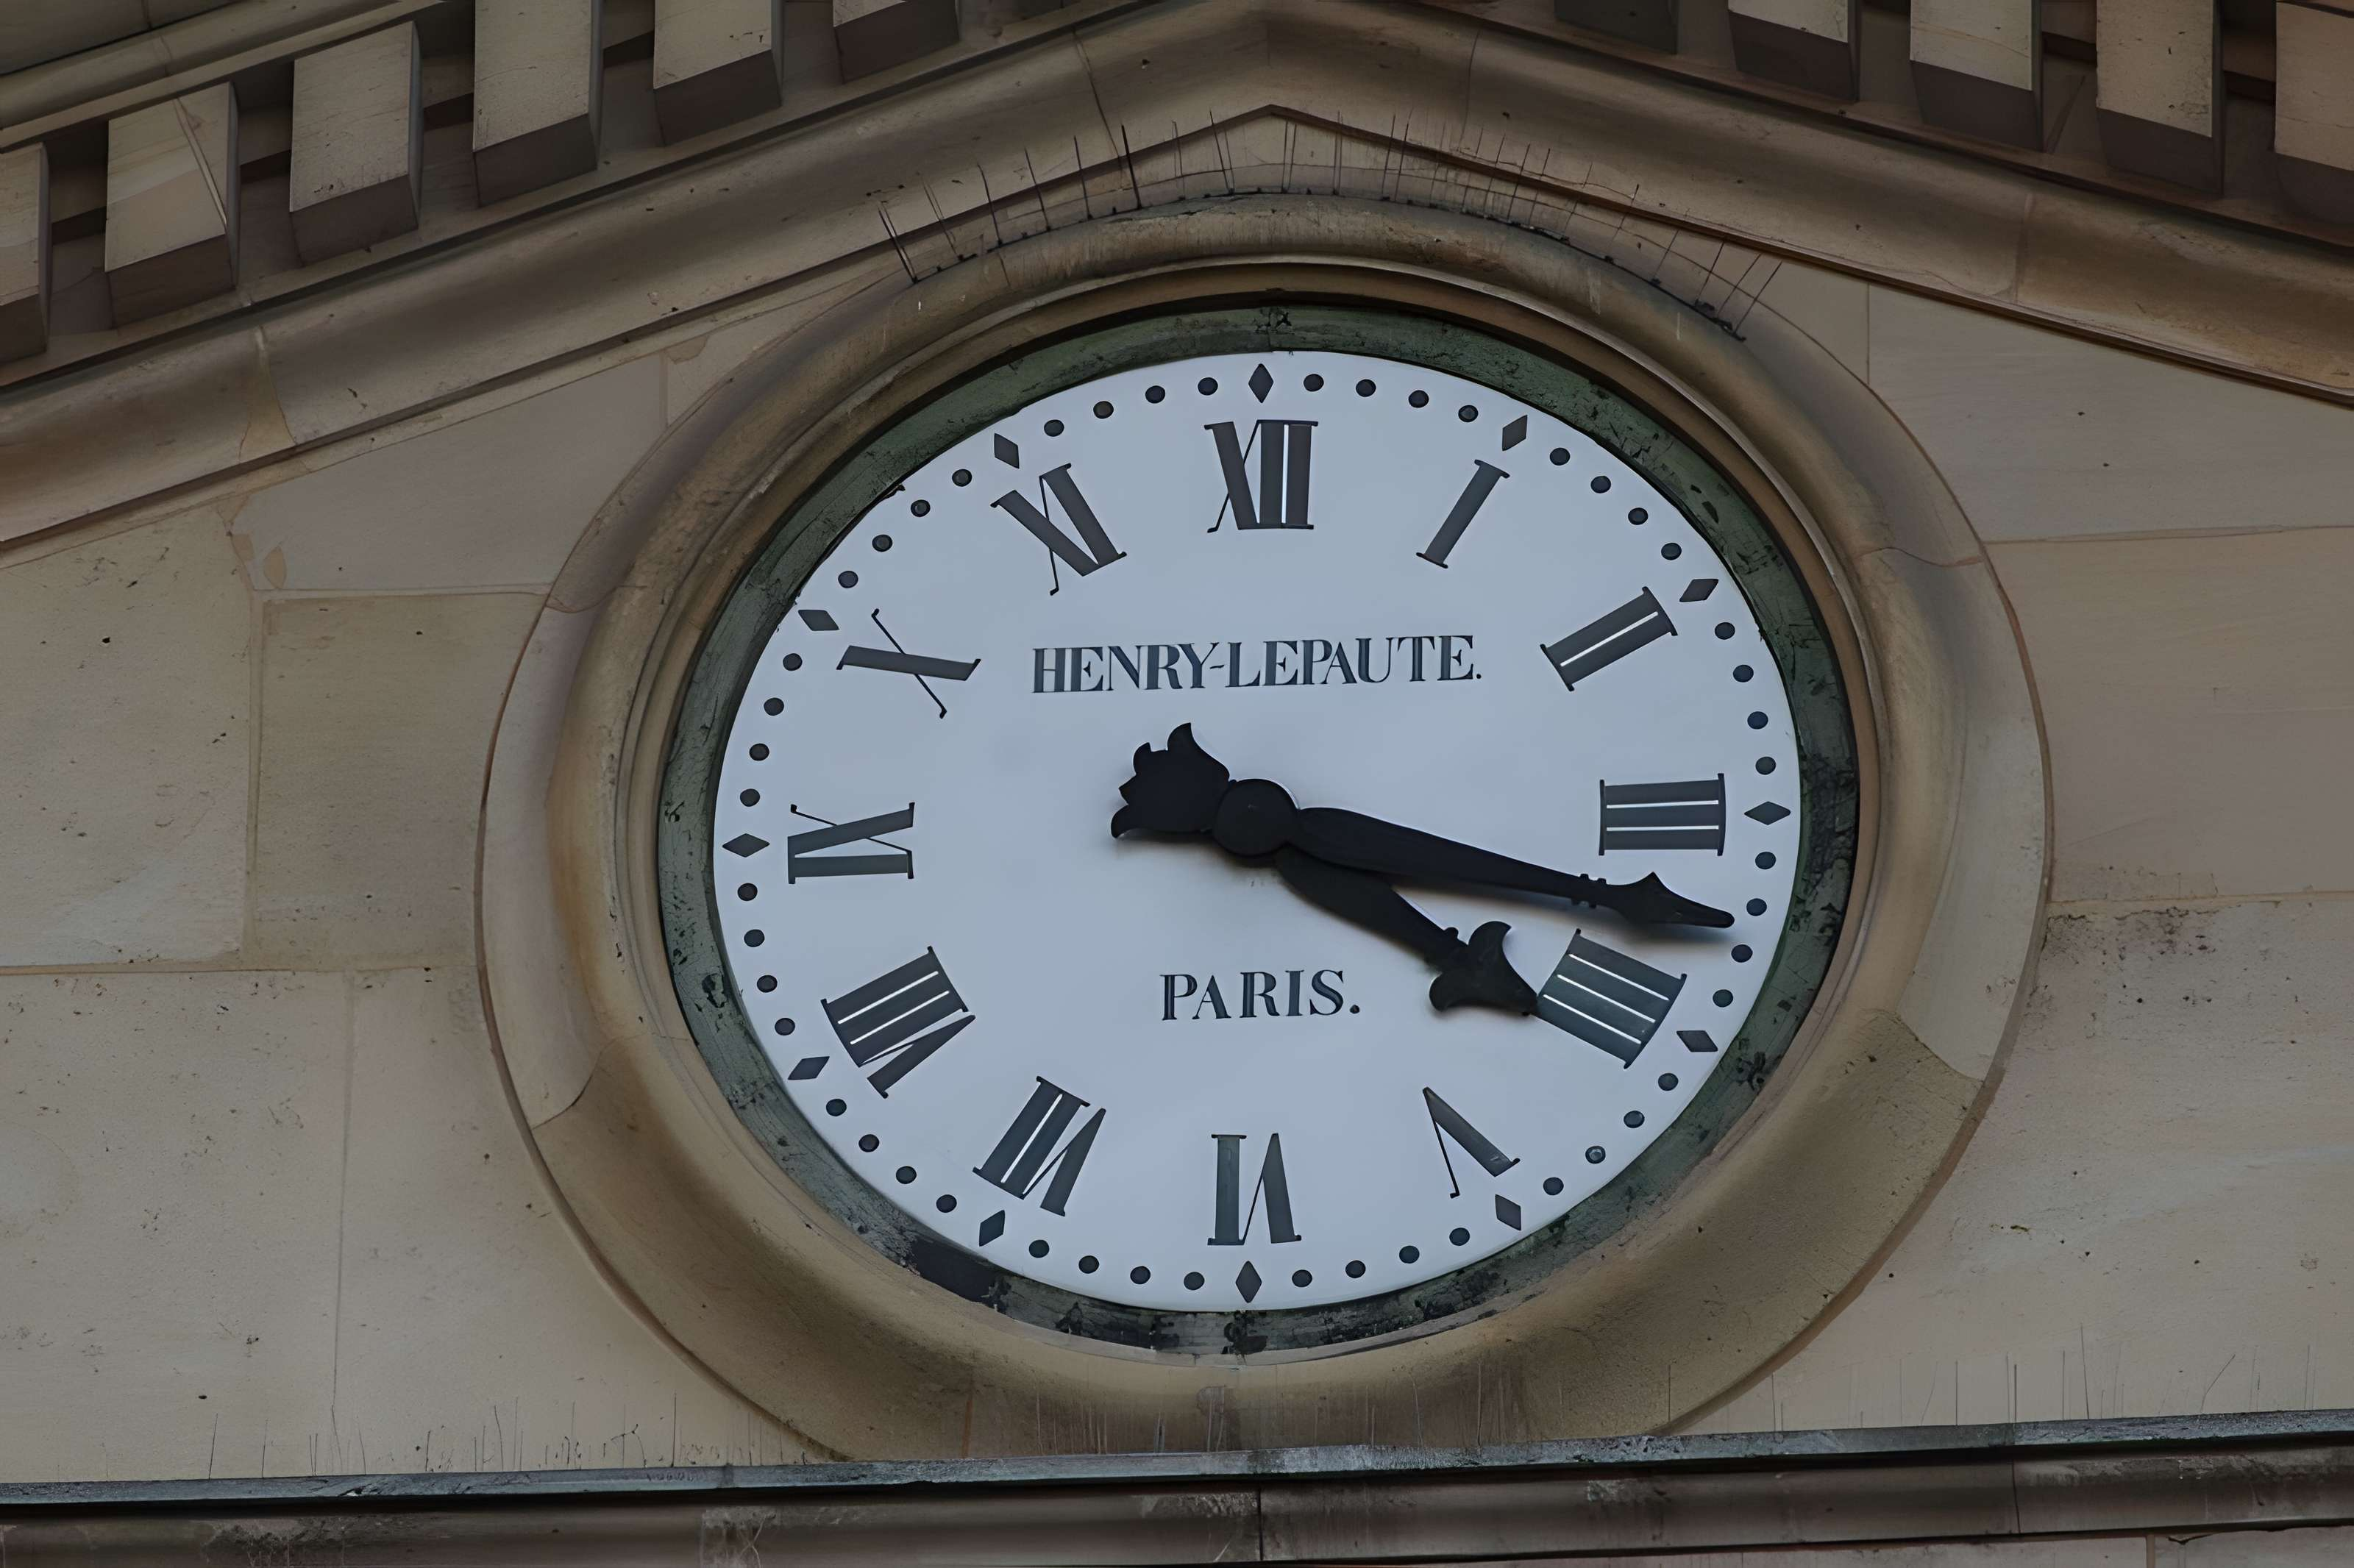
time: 4:17
